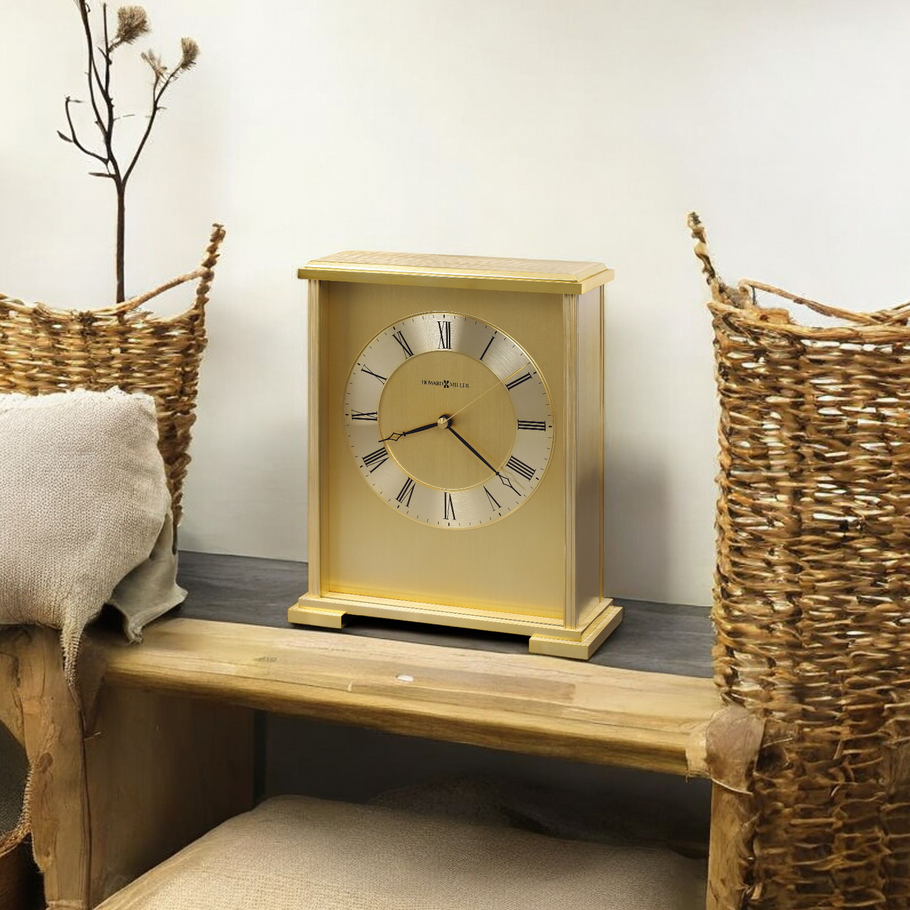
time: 8:21
